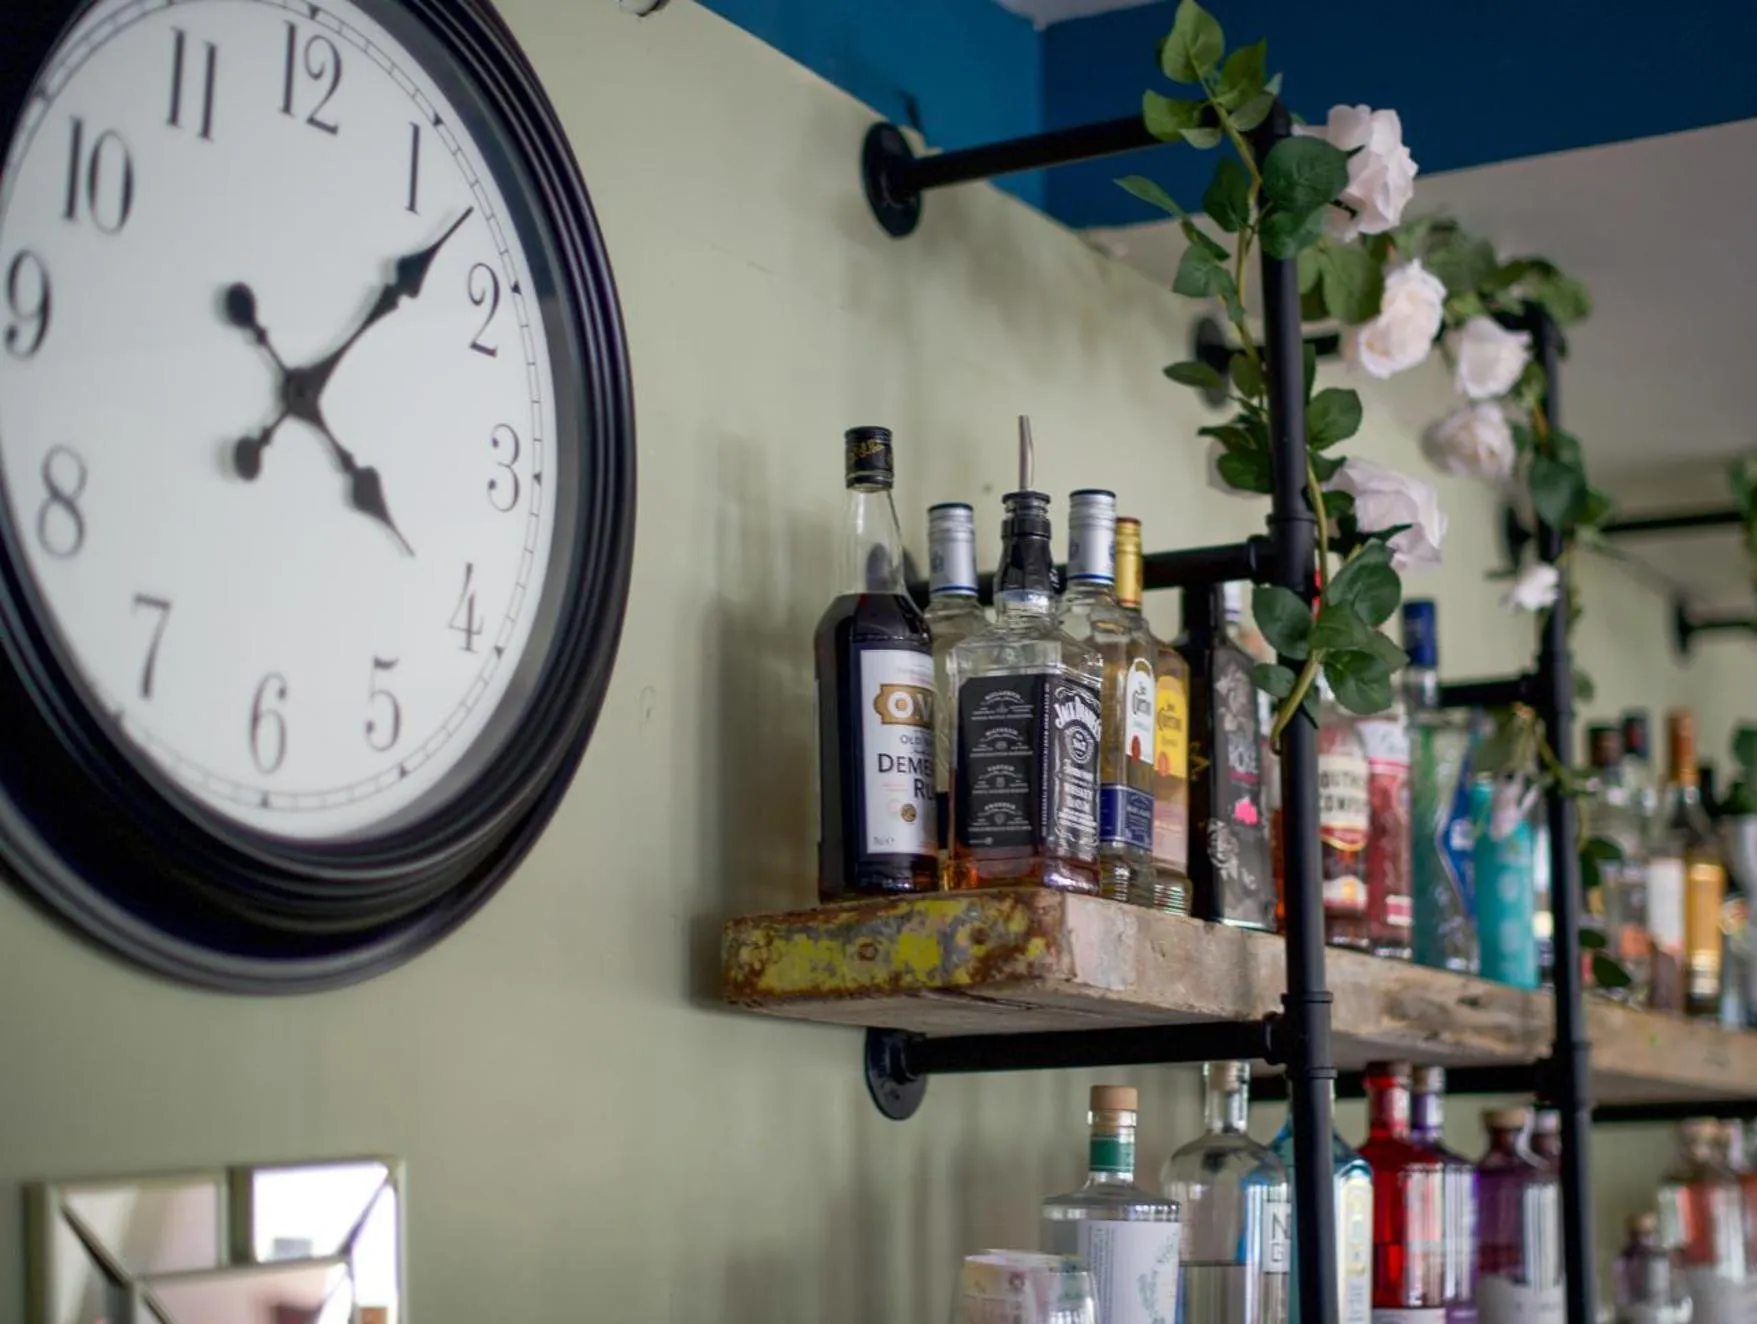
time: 4:07
